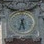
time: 5:33
